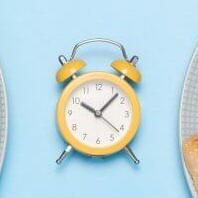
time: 10:07
